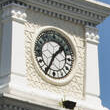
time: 1:34
